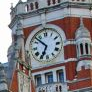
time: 6:52
